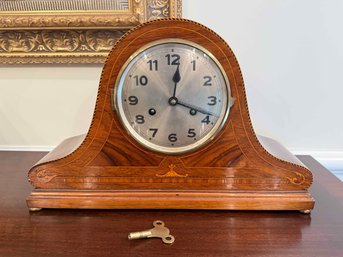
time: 12:19
